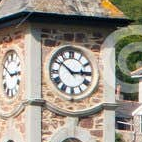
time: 2:51
